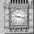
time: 9:17
